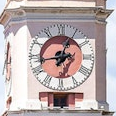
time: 12:43
